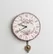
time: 9:40
